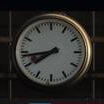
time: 7:43
